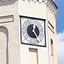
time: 12:24
